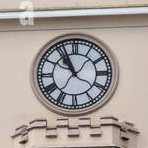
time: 10:56
